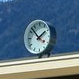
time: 1:52
